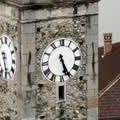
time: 5:26
